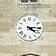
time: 4:14
